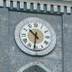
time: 10:31
